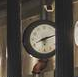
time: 8:12
